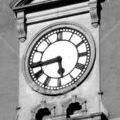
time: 5:43
